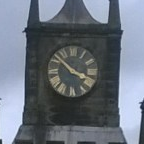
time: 3:51
